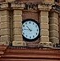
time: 10:45
